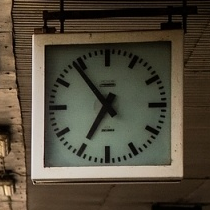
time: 6:53
